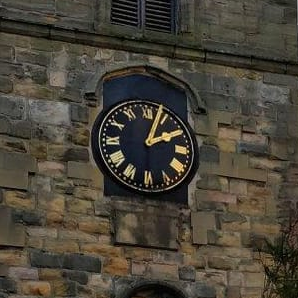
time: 2:03
